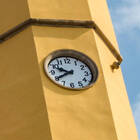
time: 9:40
